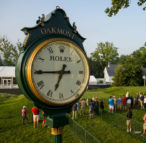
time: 6:44
